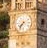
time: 7:36
